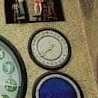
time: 7:37
